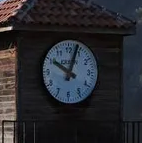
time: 10:03
